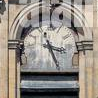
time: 3:26
